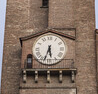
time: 5:33
